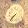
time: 7:37
